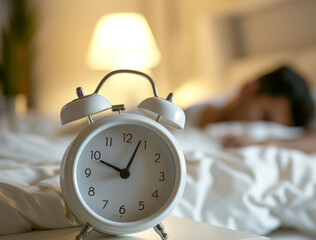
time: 10:03
